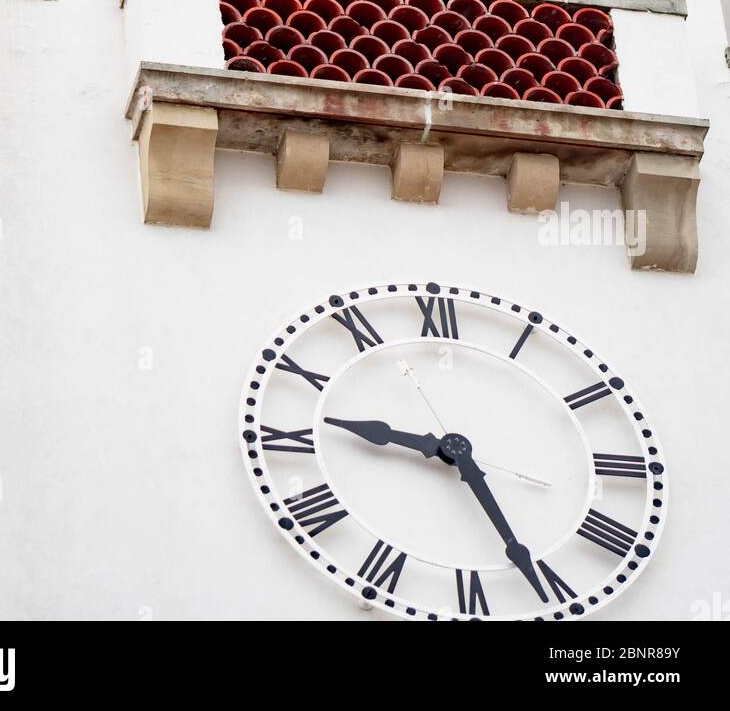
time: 9:26
